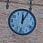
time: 12:04
